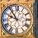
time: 9:53
